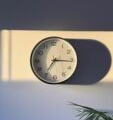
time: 7:16
